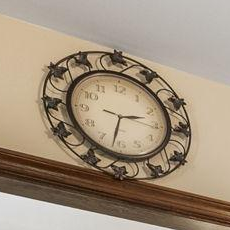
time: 2:32
